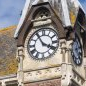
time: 3:54
